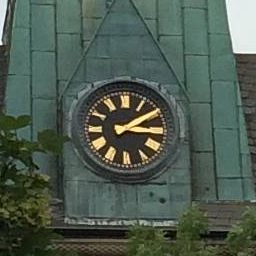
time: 3:09
